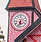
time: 5:33
